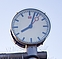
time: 8:03
